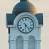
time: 6:23
